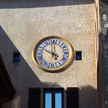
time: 4:49
